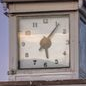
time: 6:06
